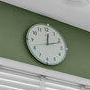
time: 12:11
